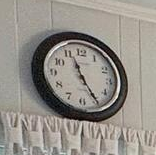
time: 11:24
